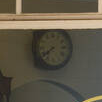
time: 7:39
